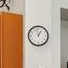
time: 12:57
